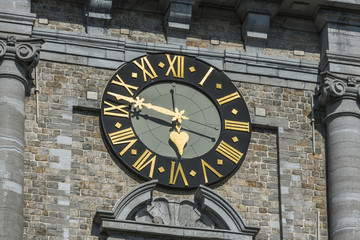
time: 5:47
